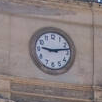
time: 9:12
